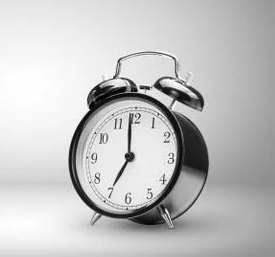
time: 6:59
